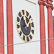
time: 12:07
